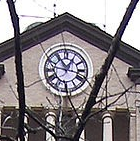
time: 12:46
